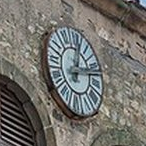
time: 12:12
